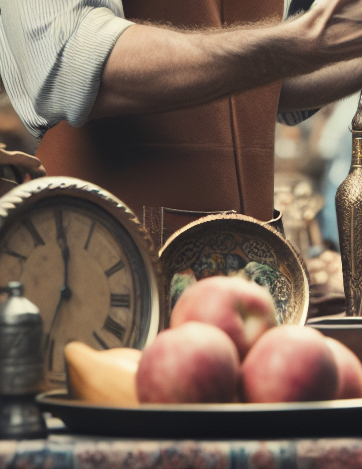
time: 7:00
